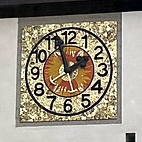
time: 1:57
